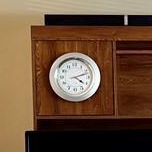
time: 4:12
